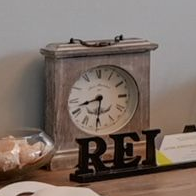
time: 8:30
